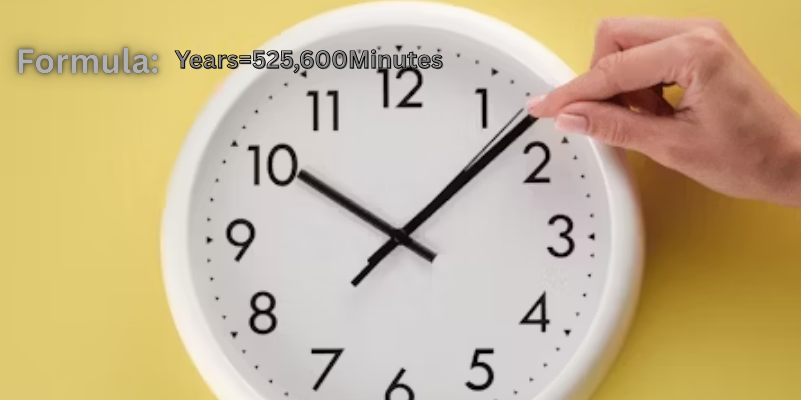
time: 10:07
